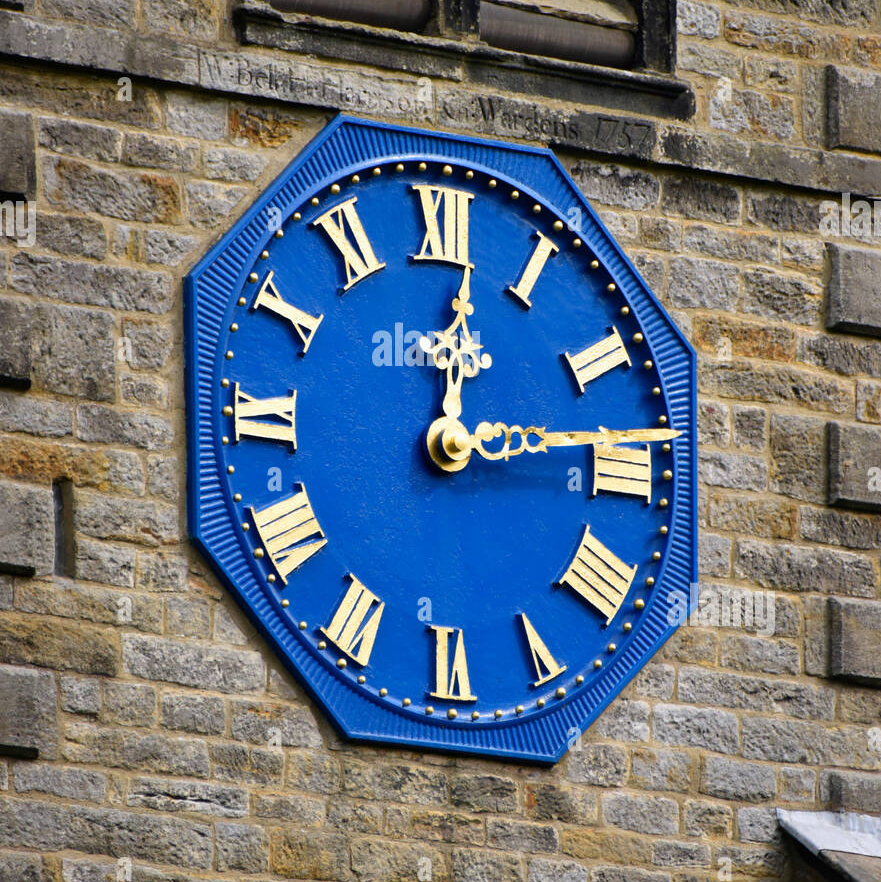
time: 12:13
